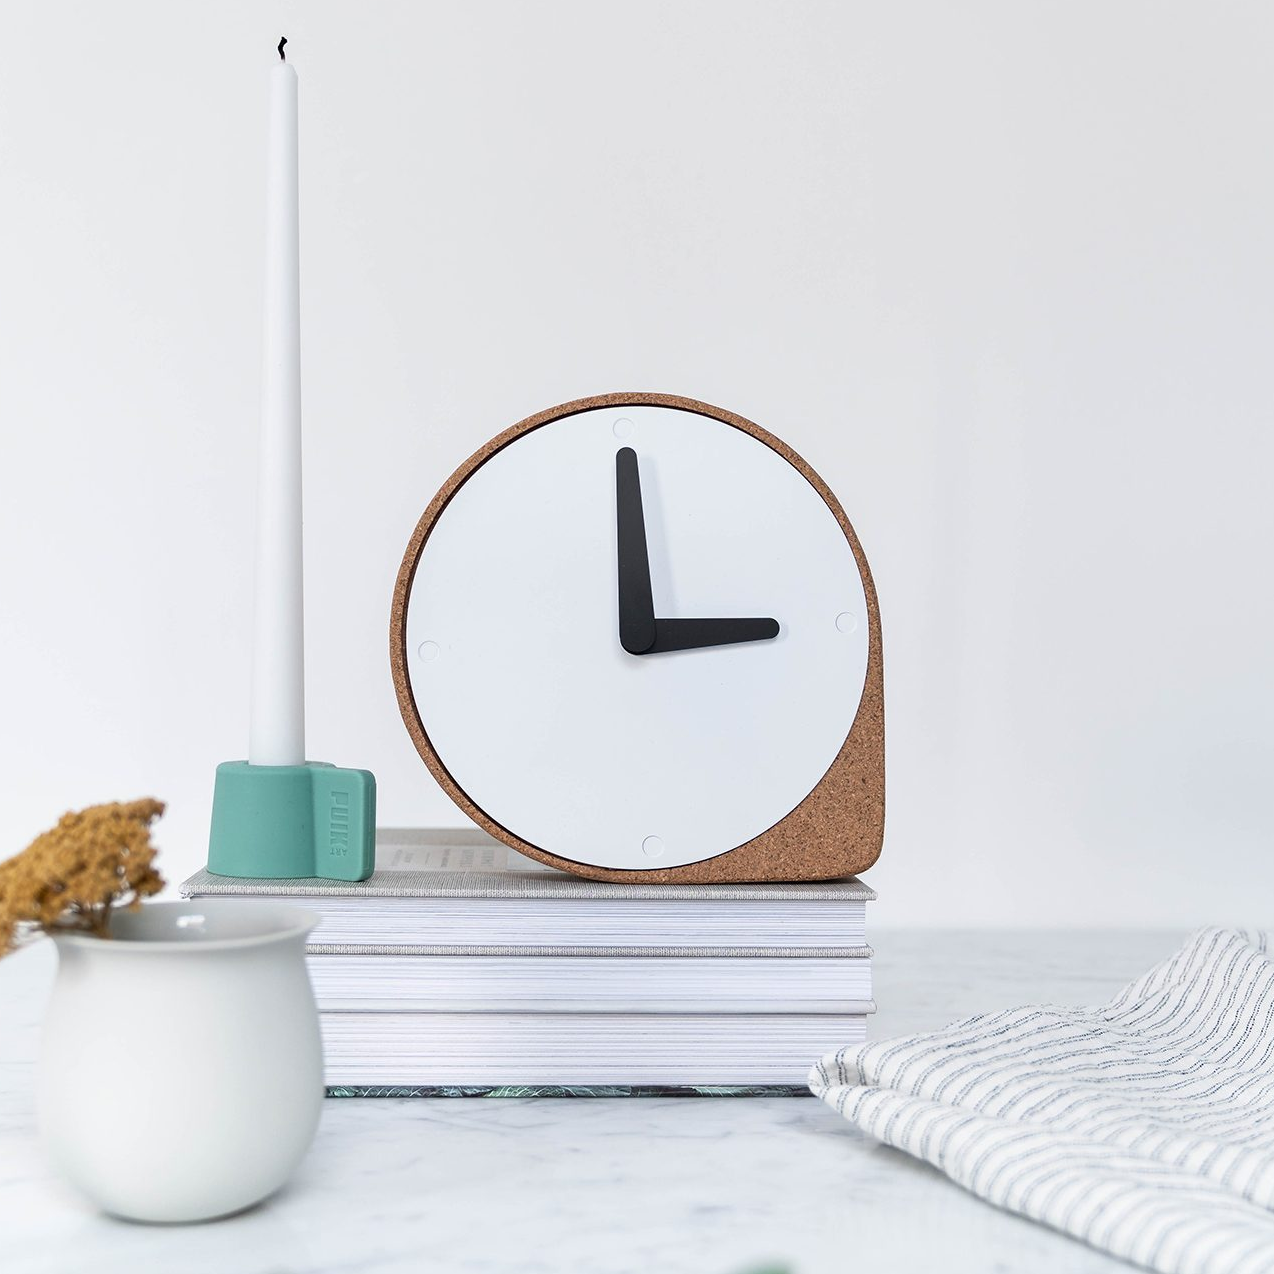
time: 2:59
